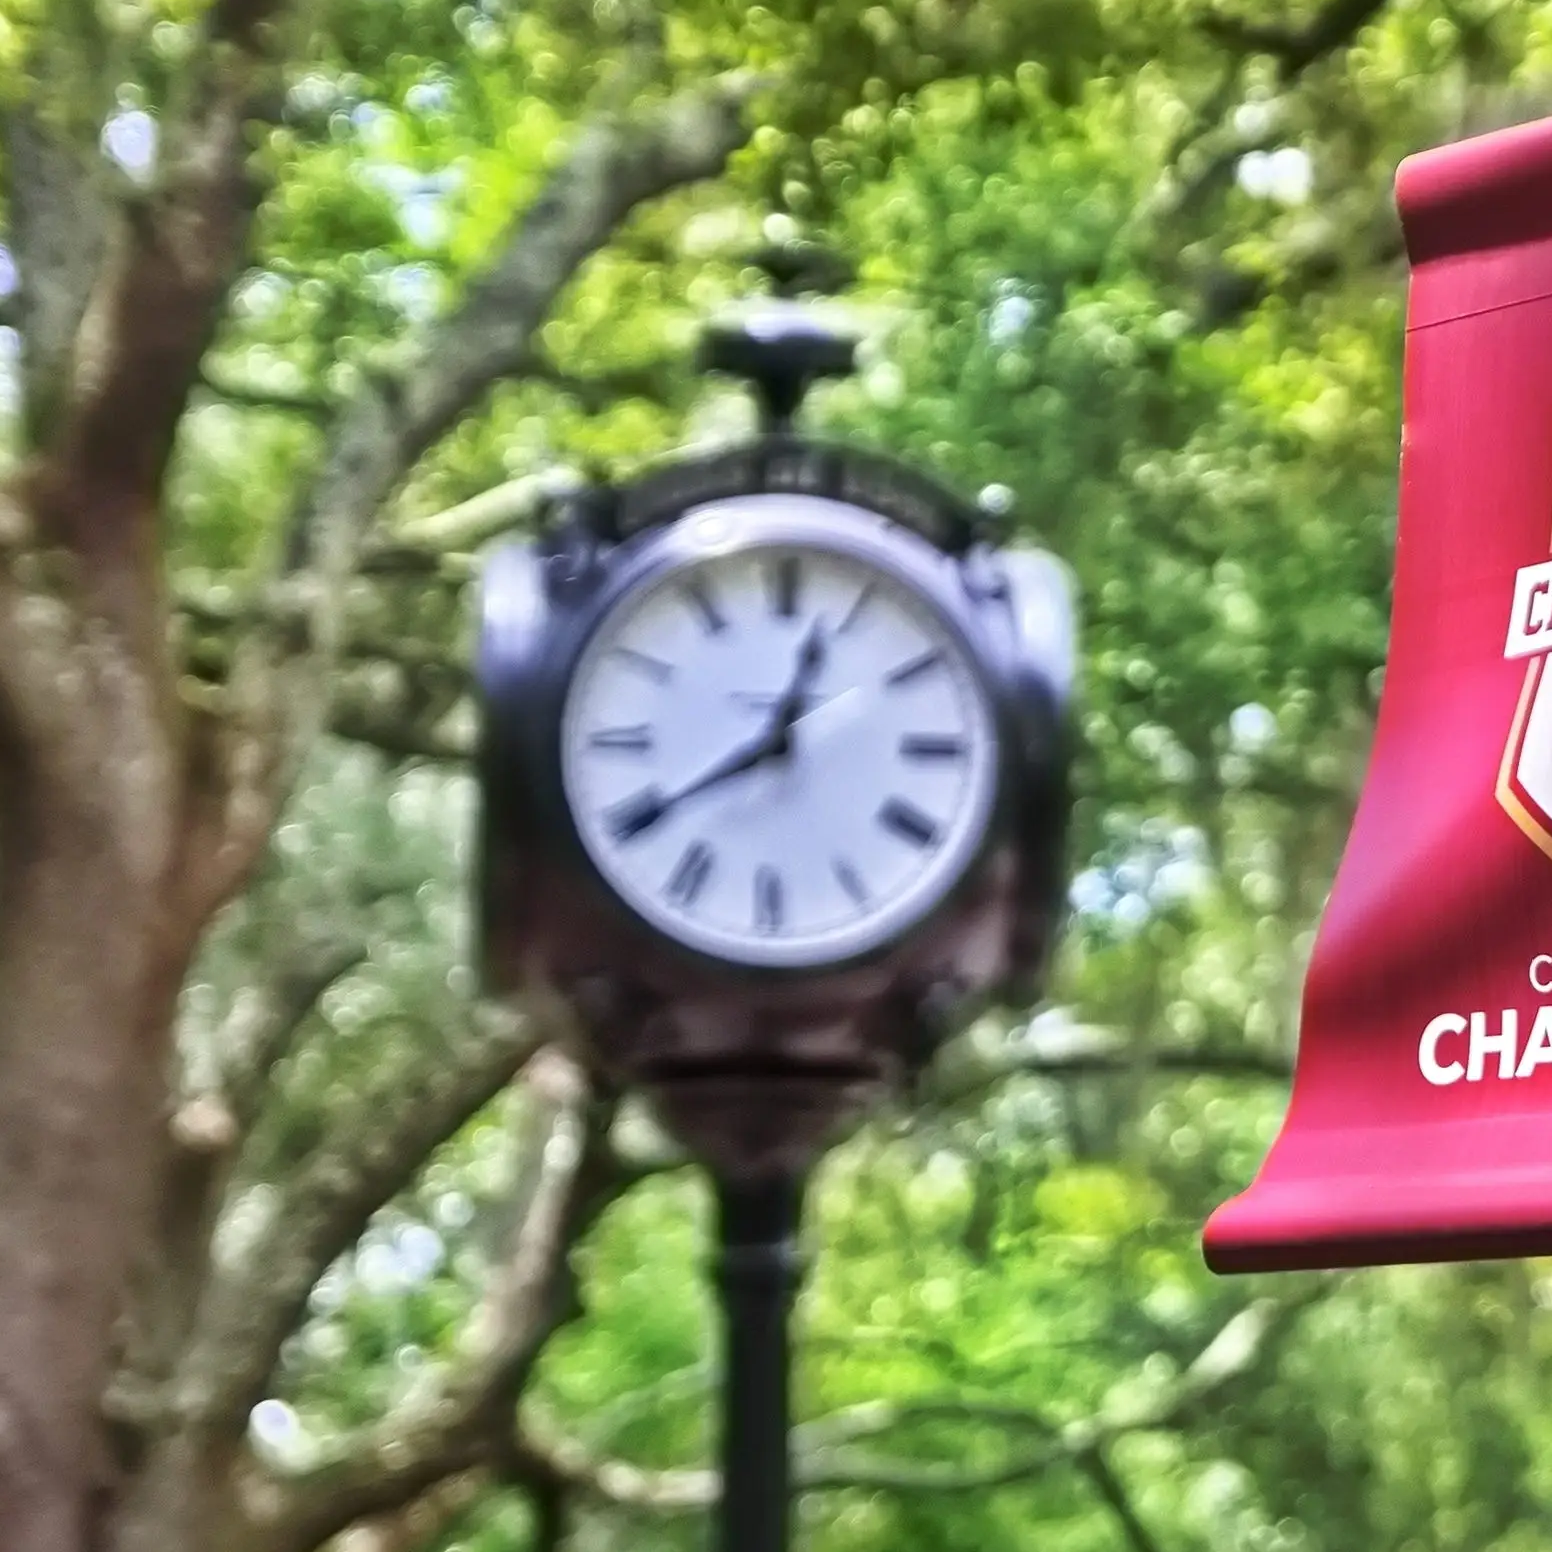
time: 12:39
